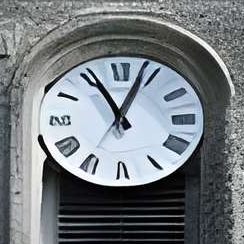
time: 11:03
